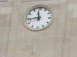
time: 11:43
